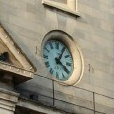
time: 4:04
